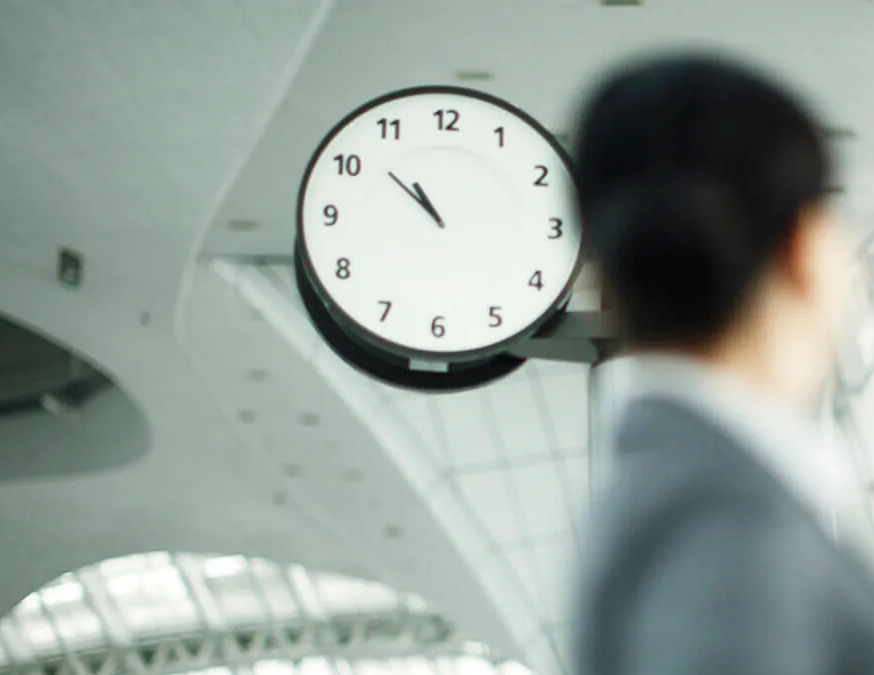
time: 10:52
